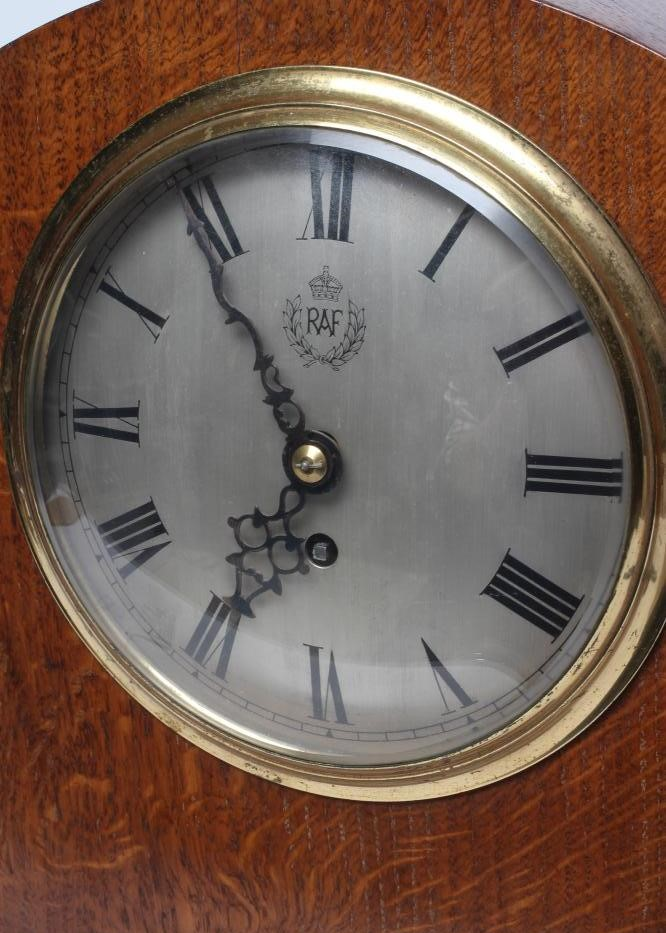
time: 6:54
